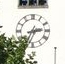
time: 2:35
